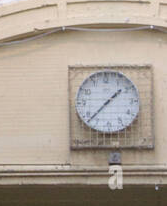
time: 1:37
